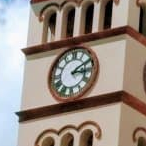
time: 3:09
